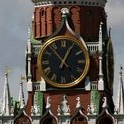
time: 12:53
